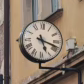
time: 5:18
